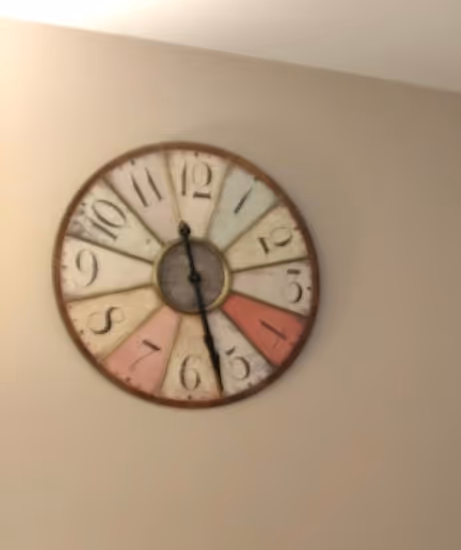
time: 11:27
